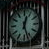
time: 12:26
